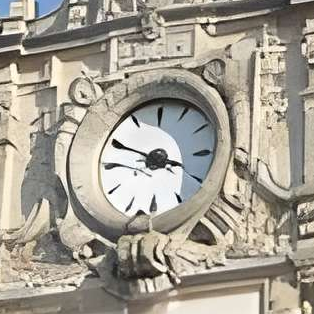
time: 3:49
